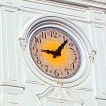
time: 9:07
